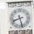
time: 8:27
